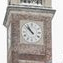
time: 10:52
